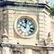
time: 10:02
